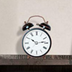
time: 10:13
